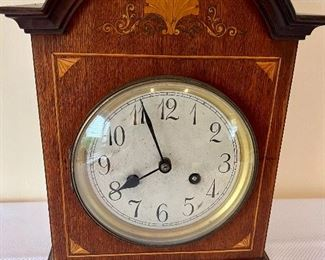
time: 7:56
